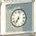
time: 7:03
